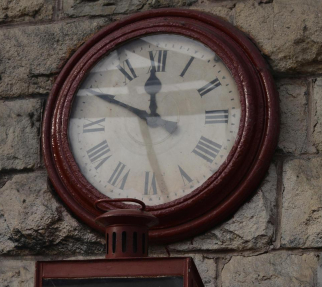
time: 11:49
